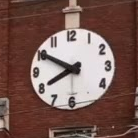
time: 7:50
